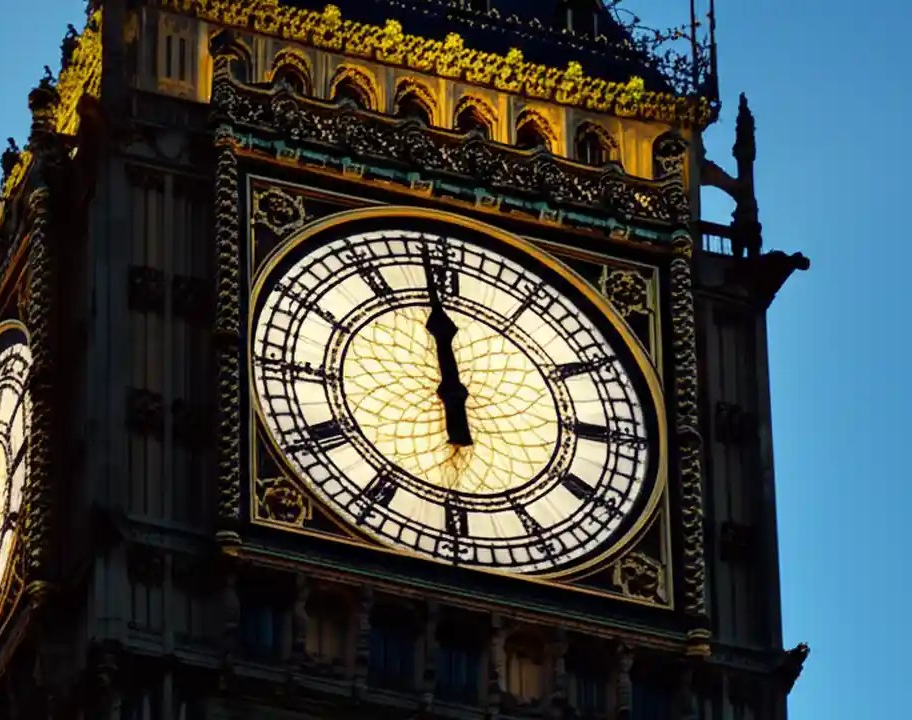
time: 11:58
